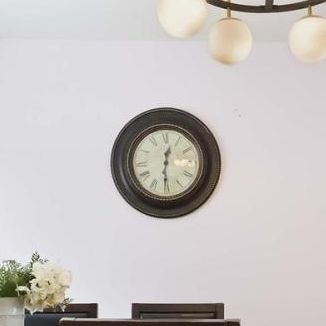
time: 12:30
